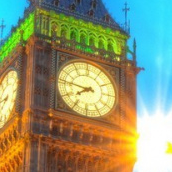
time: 7:46
